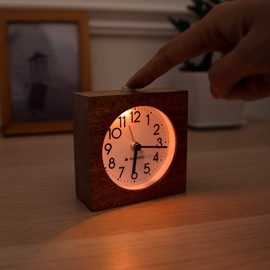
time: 6:16
